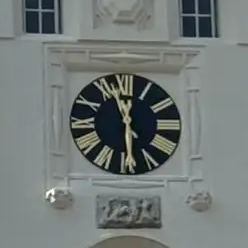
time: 11:29
